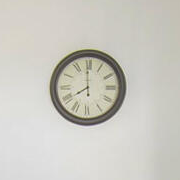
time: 7:59
